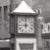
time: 8:59
